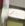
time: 7:37
